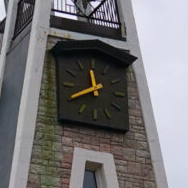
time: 11:40
